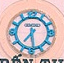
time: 7:28
